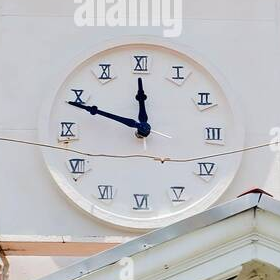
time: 11:48
